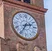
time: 2:35
